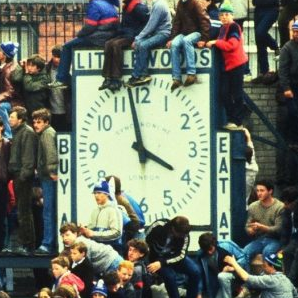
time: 3:58
